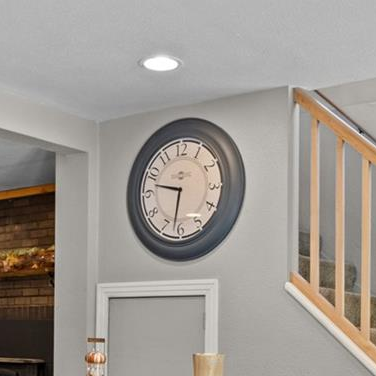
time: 9:31
